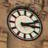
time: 3:11
